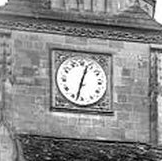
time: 12:32
